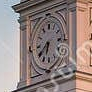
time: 6:39
